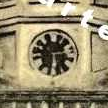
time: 2:29
